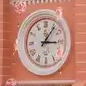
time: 3:06
